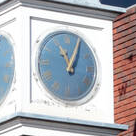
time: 11:04
